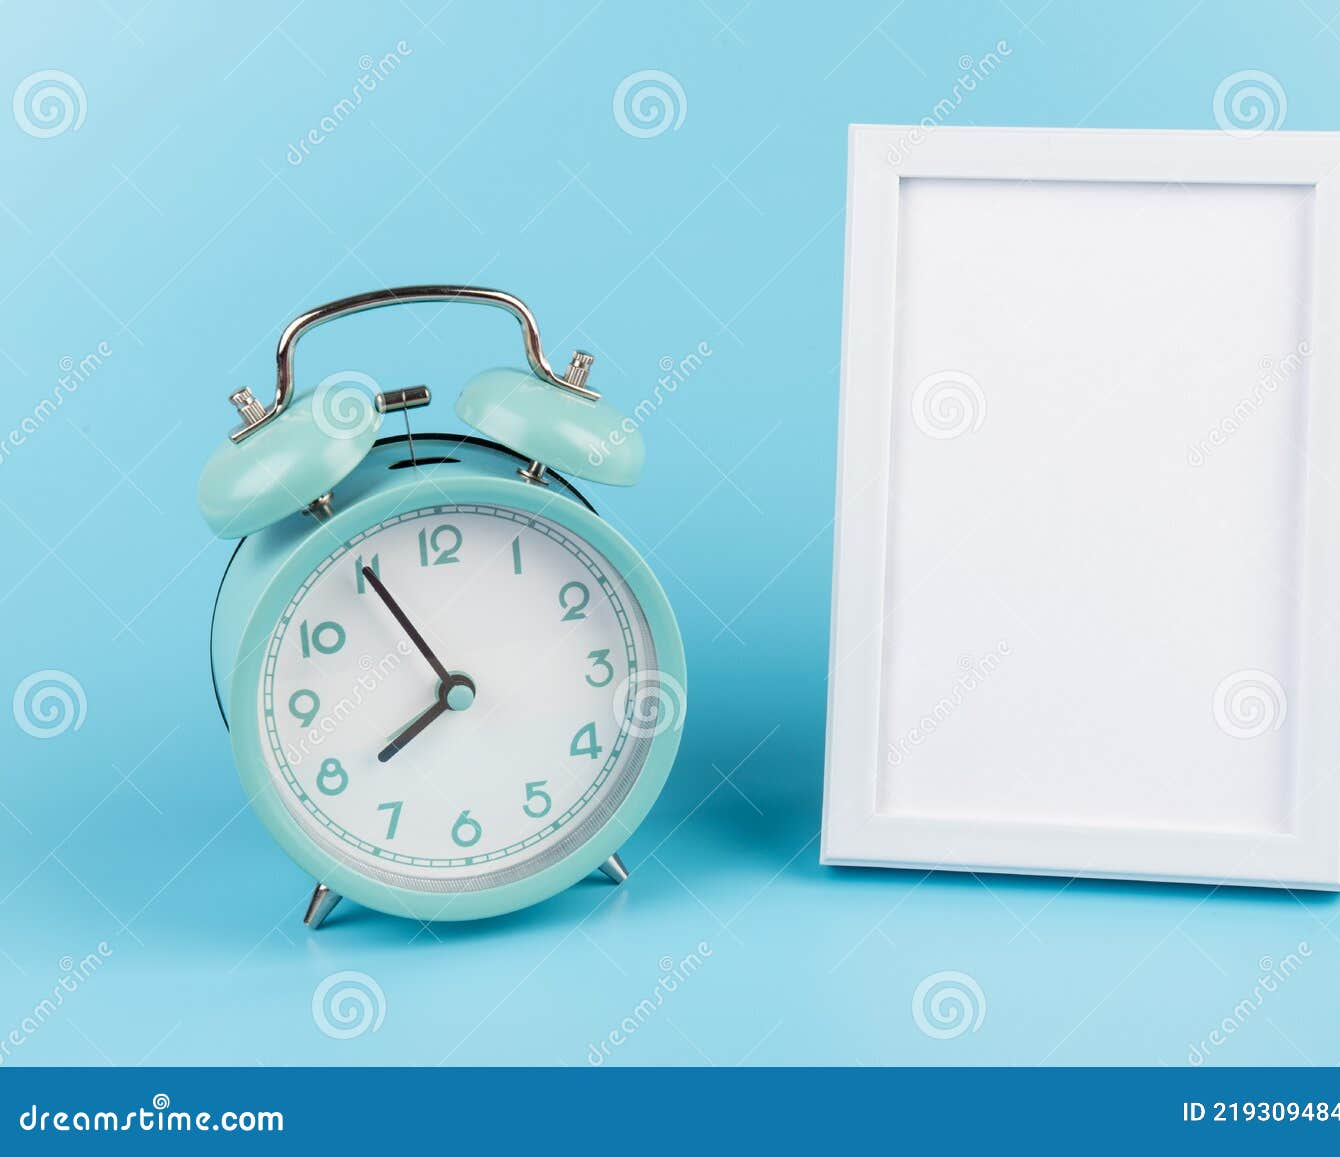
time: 7:55
